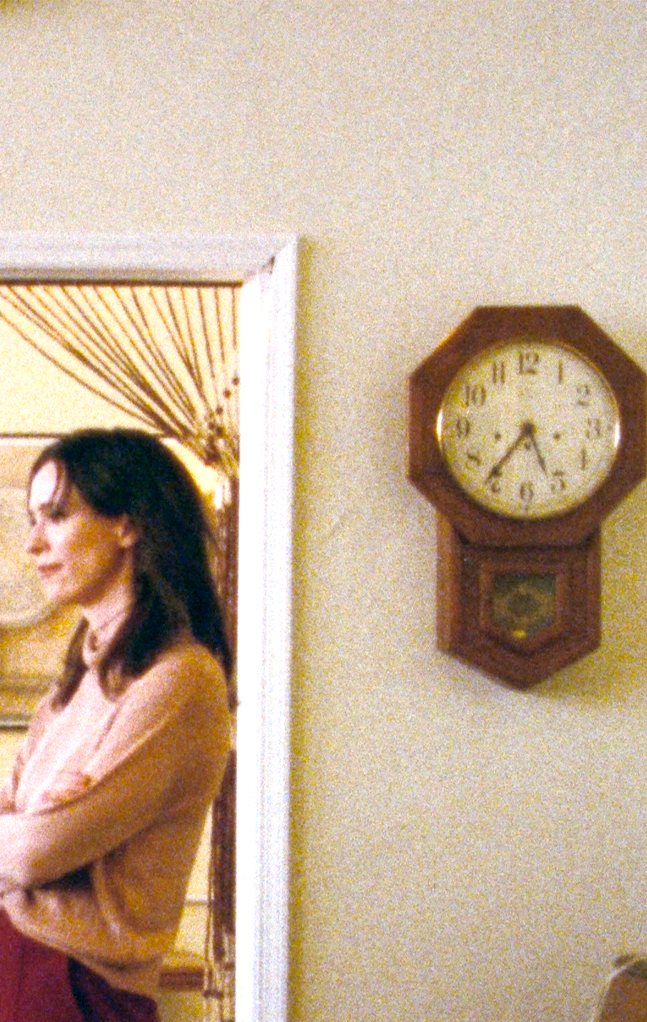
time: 5:36
